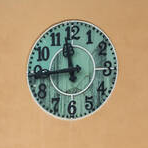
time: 11:44
